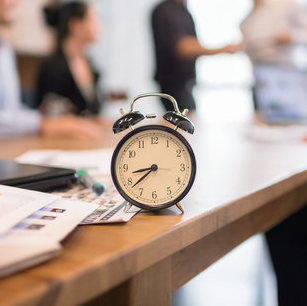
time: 8:38
